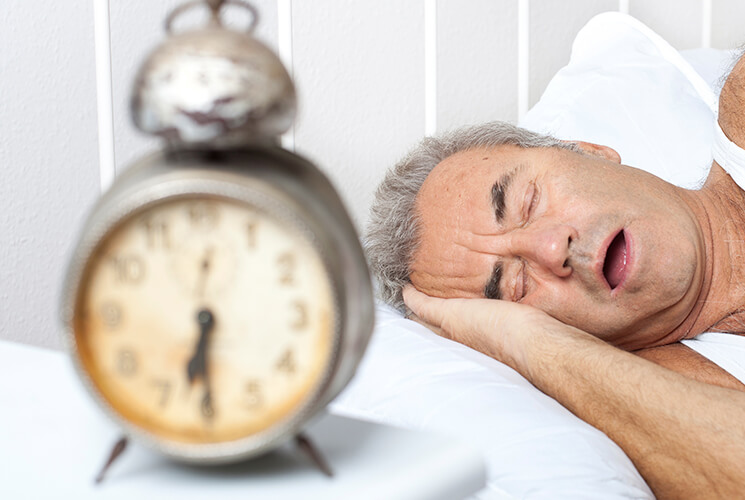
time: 6:29
